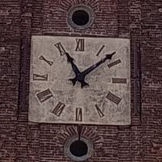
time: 11:08
